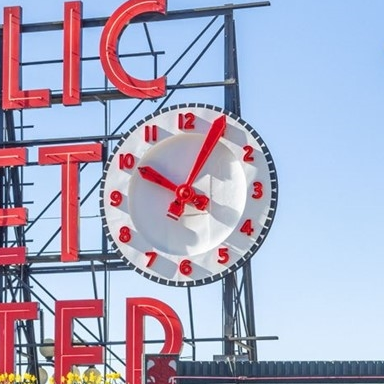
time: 10:04
